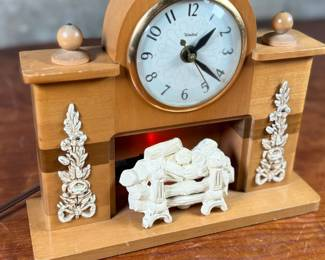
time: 1:21
